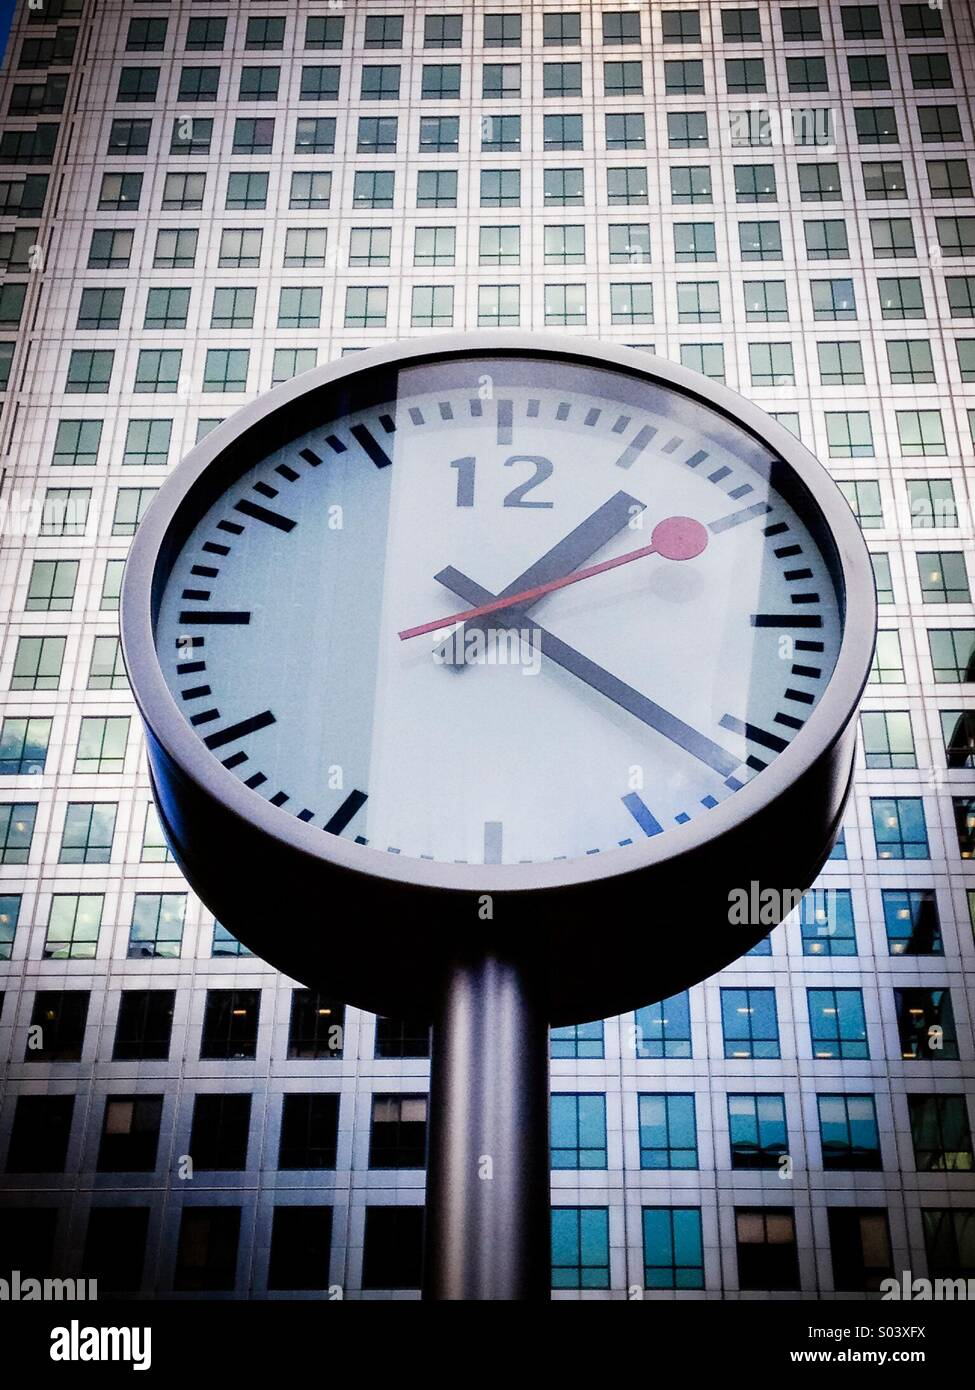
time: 1:21
